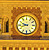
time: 9:42
